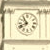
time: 10:41
